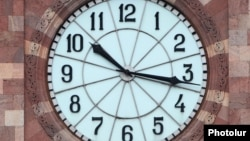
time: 10:16
